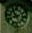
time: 10:41
